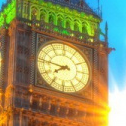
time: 7:46
